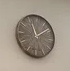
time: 11:08
